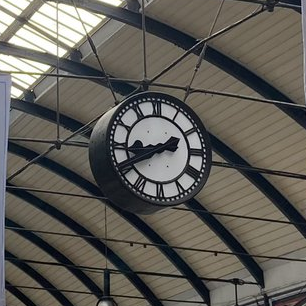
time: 8:40
